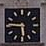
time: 5:45
